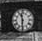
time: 11:30
